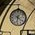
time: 6:21
